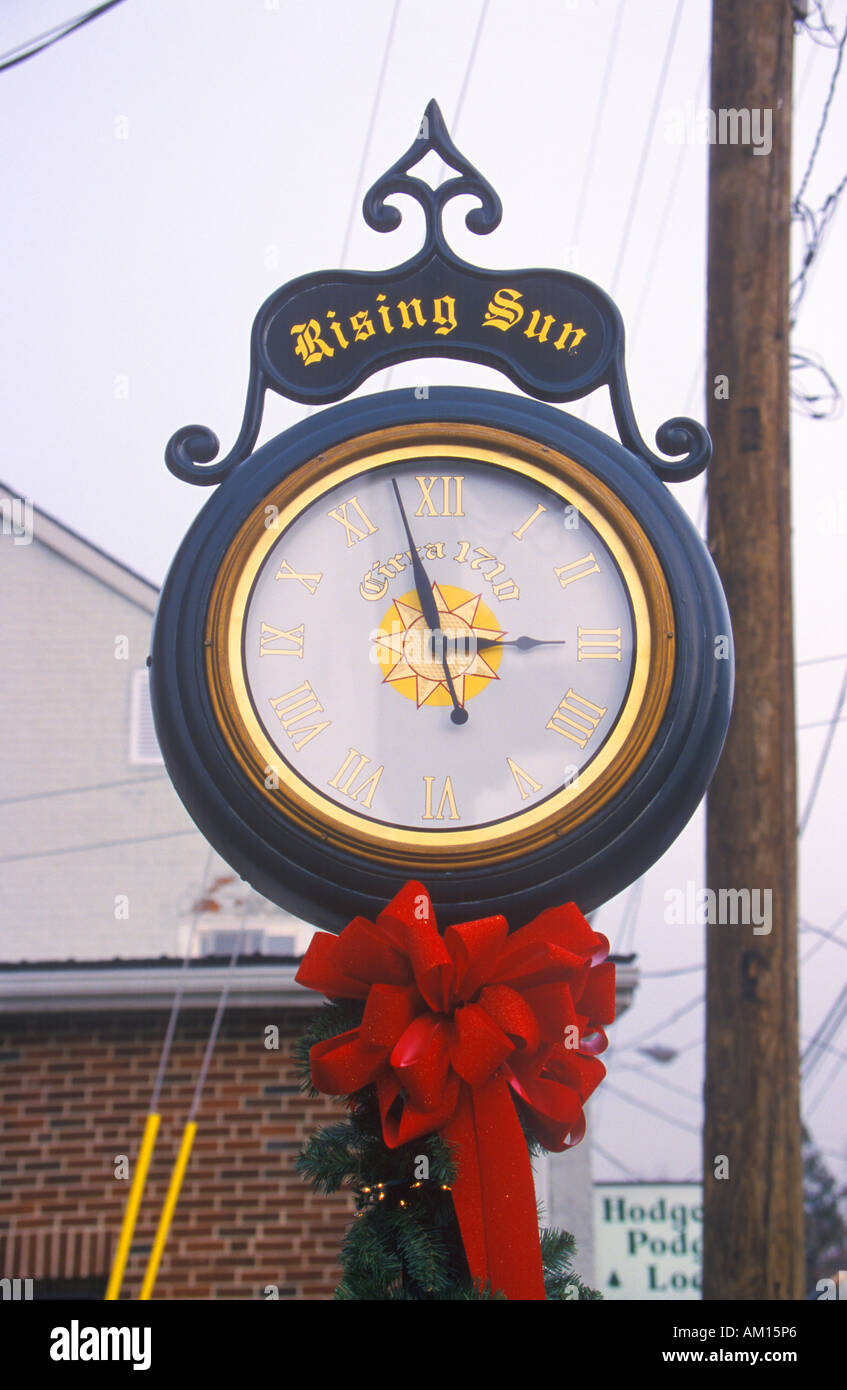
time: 2:57
